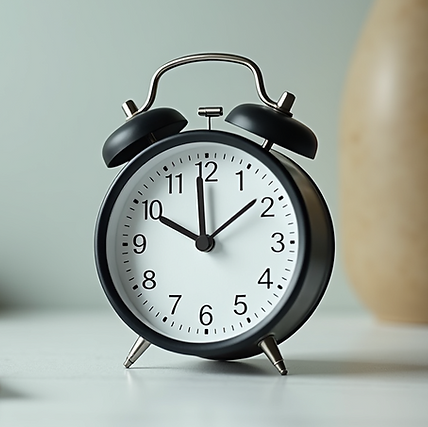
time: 9:59
